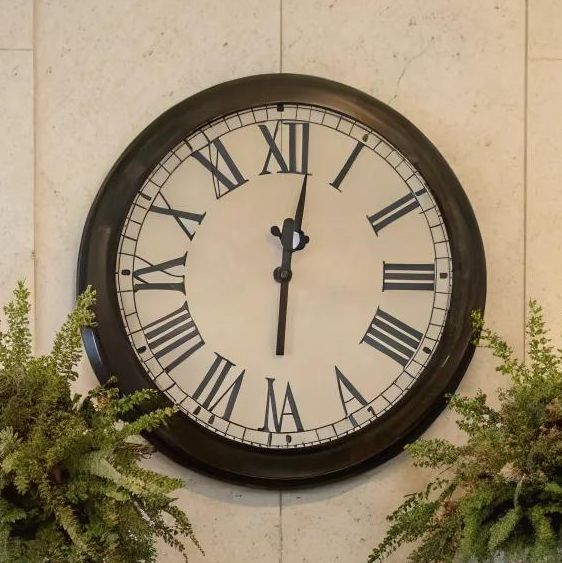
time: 6:01
